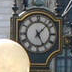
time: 5:07
